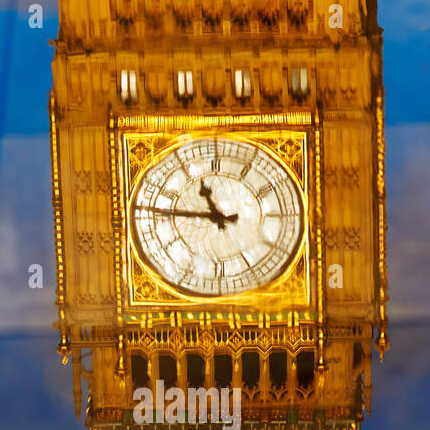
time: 10:46
